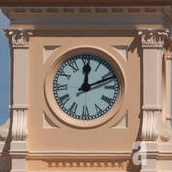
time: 12:11
